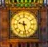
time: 9:28
